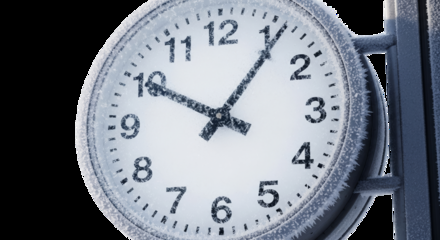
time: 10:06
